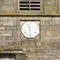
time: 11:29
